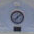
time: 7:07
